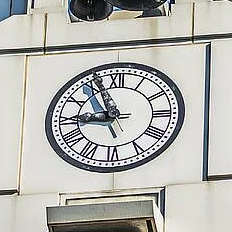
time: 8:56
